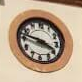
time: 3:47
